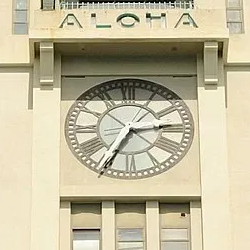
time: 2:34
